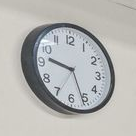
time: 9:26
